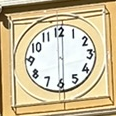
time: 6:00
